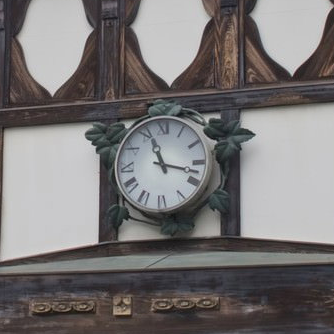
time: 11:17
